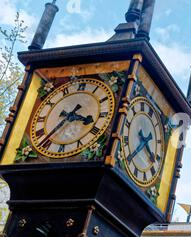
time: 3:36
